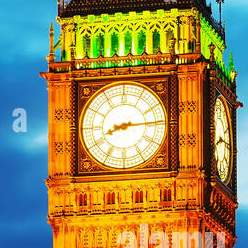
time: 8:14
